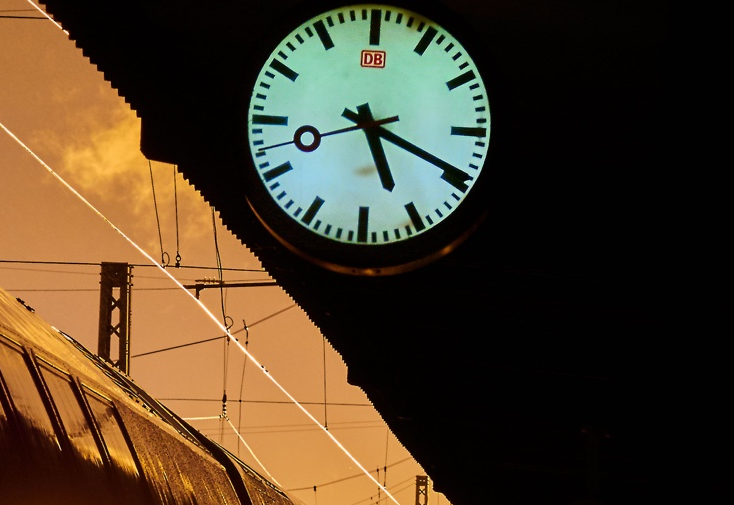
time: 5:19
